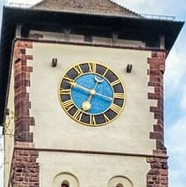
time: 6:48
